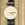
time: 4:13
